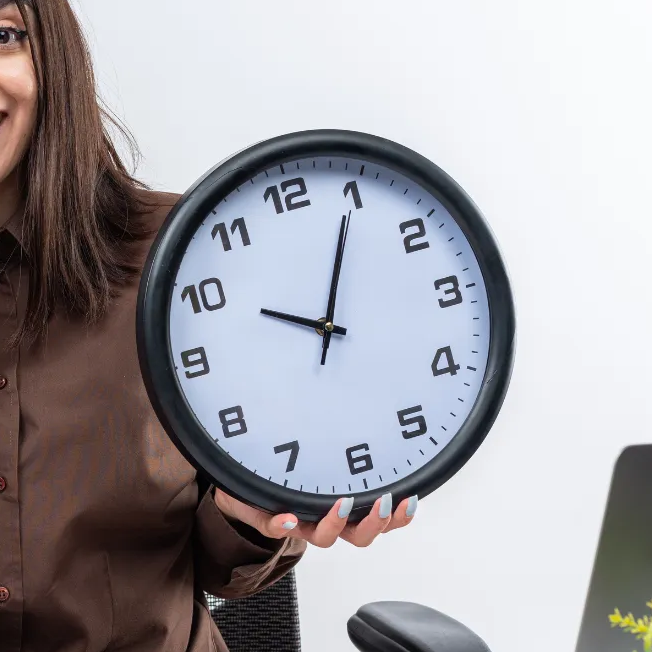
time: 10:04
